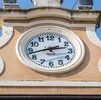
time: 2:42
